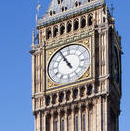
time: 10:55
